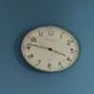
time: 3:46
